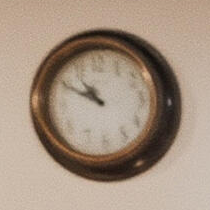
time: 10:50
